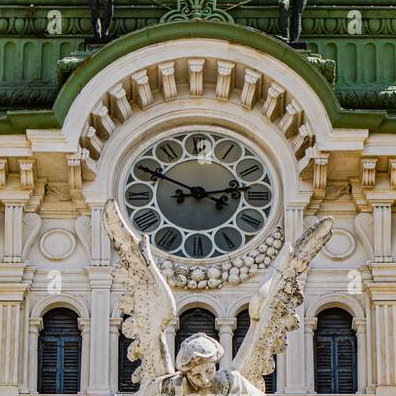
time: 2:49
